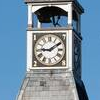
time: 9:09
